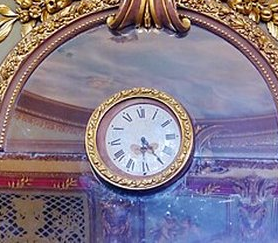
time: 5:24
